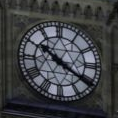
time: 10:20
